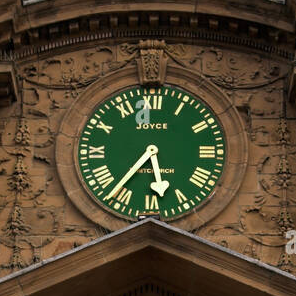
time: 5:36
